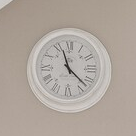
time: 11:22
